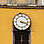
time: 3:18
